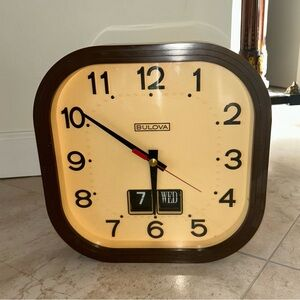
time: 5:50
